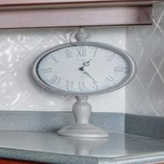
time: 1:24
